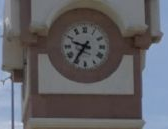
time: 9:36
